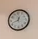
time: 12:41
